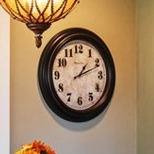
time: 1:11
